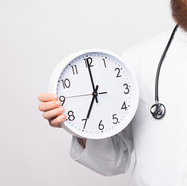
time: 6:59
